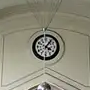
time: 4:06
